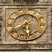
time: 5:40
